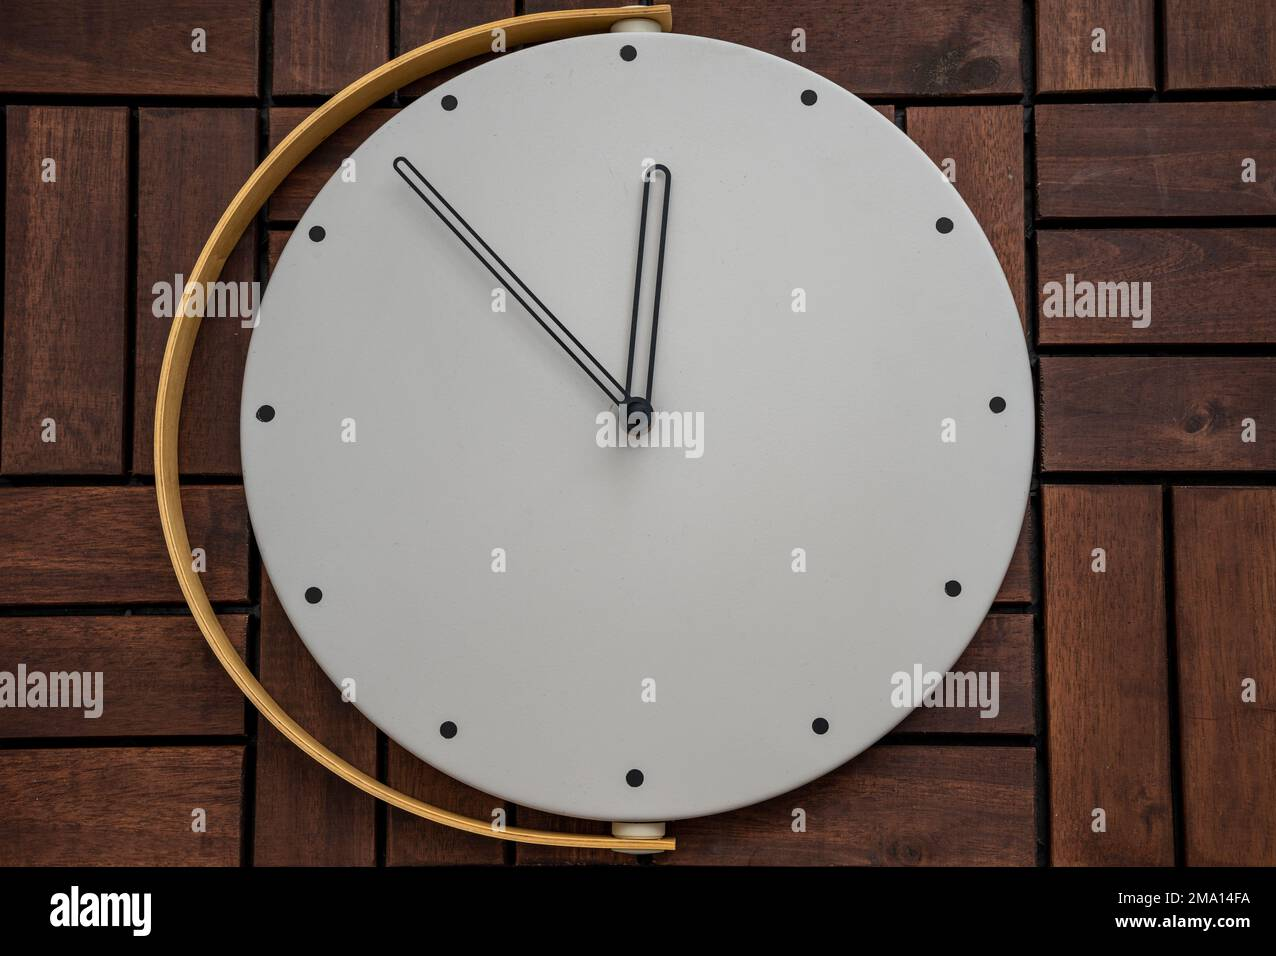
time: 11:52
